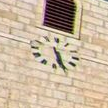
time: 5:26
